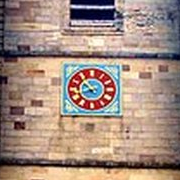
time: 7:52
